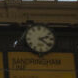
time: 2:21
